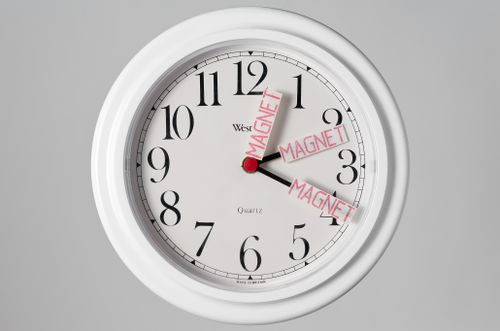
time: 4:03
